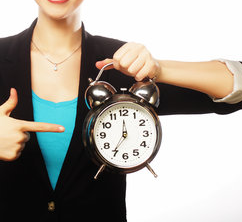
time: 7:00
